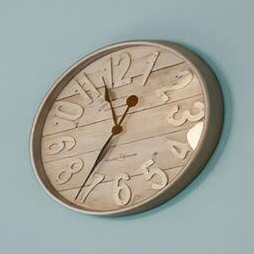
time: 11:35
